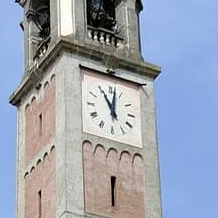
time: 11:01
